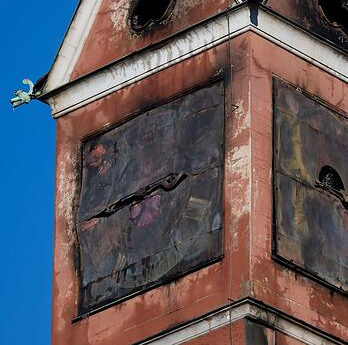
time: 8:45
